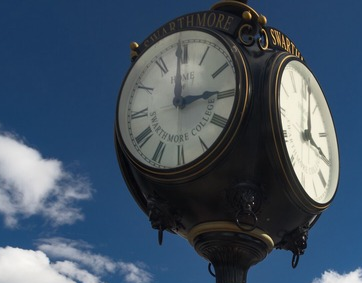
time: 2:59
